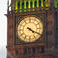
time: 4:19
